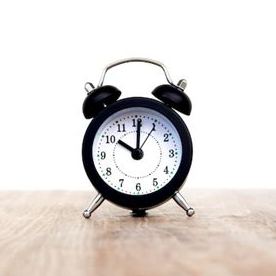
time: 10:00
